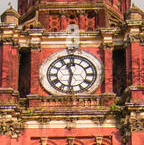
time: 11:31
